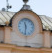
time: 11:31
